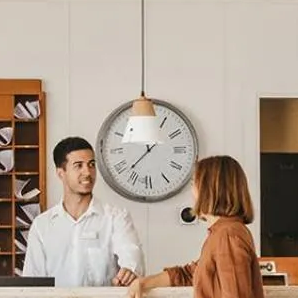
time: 7:37
